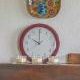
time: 10:00
